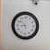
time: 8:52
